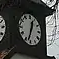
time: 12:32
